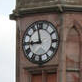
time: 8:57
